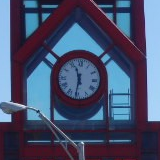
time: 11:31
